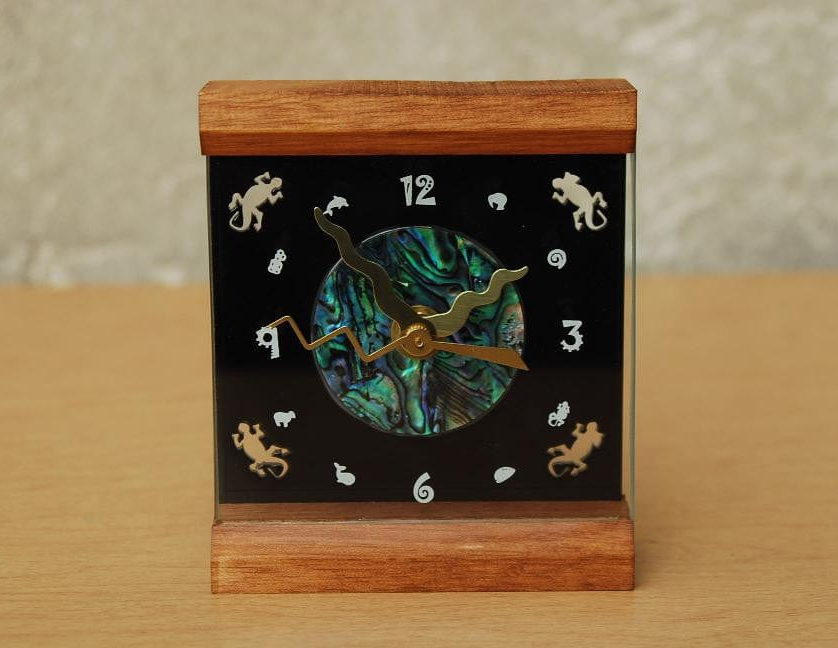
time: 1:53
